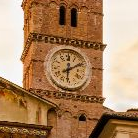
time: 6:10
